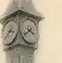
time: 3:37
